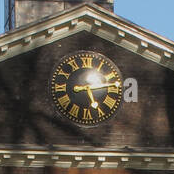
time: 5:13
